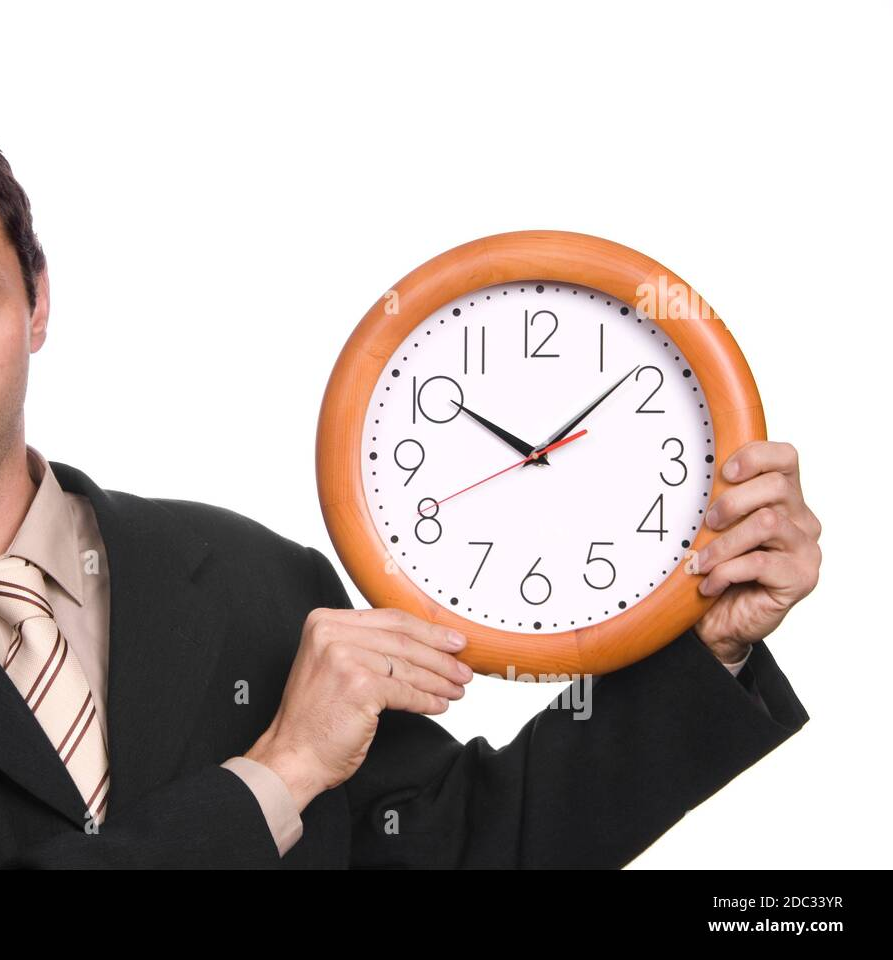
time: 10:07
